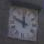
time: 11:48
